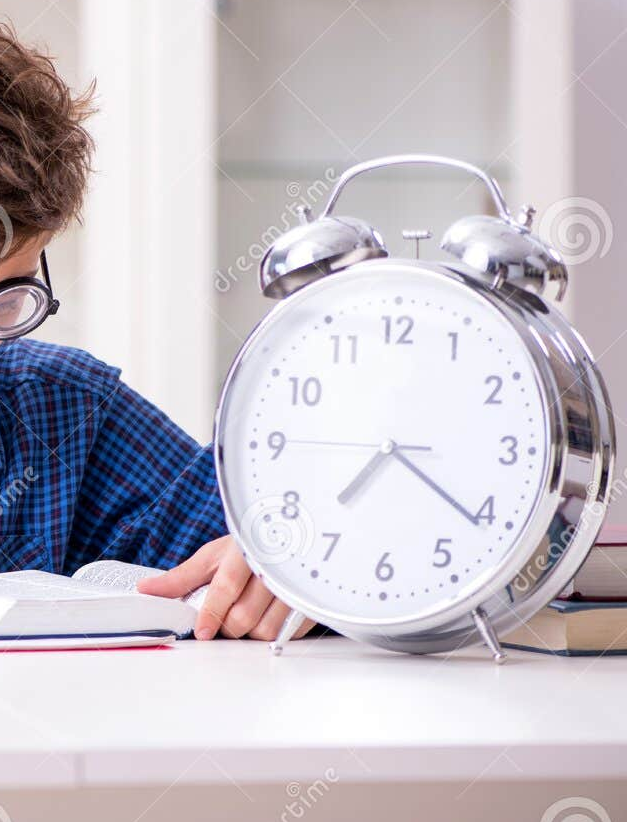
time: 7:21
